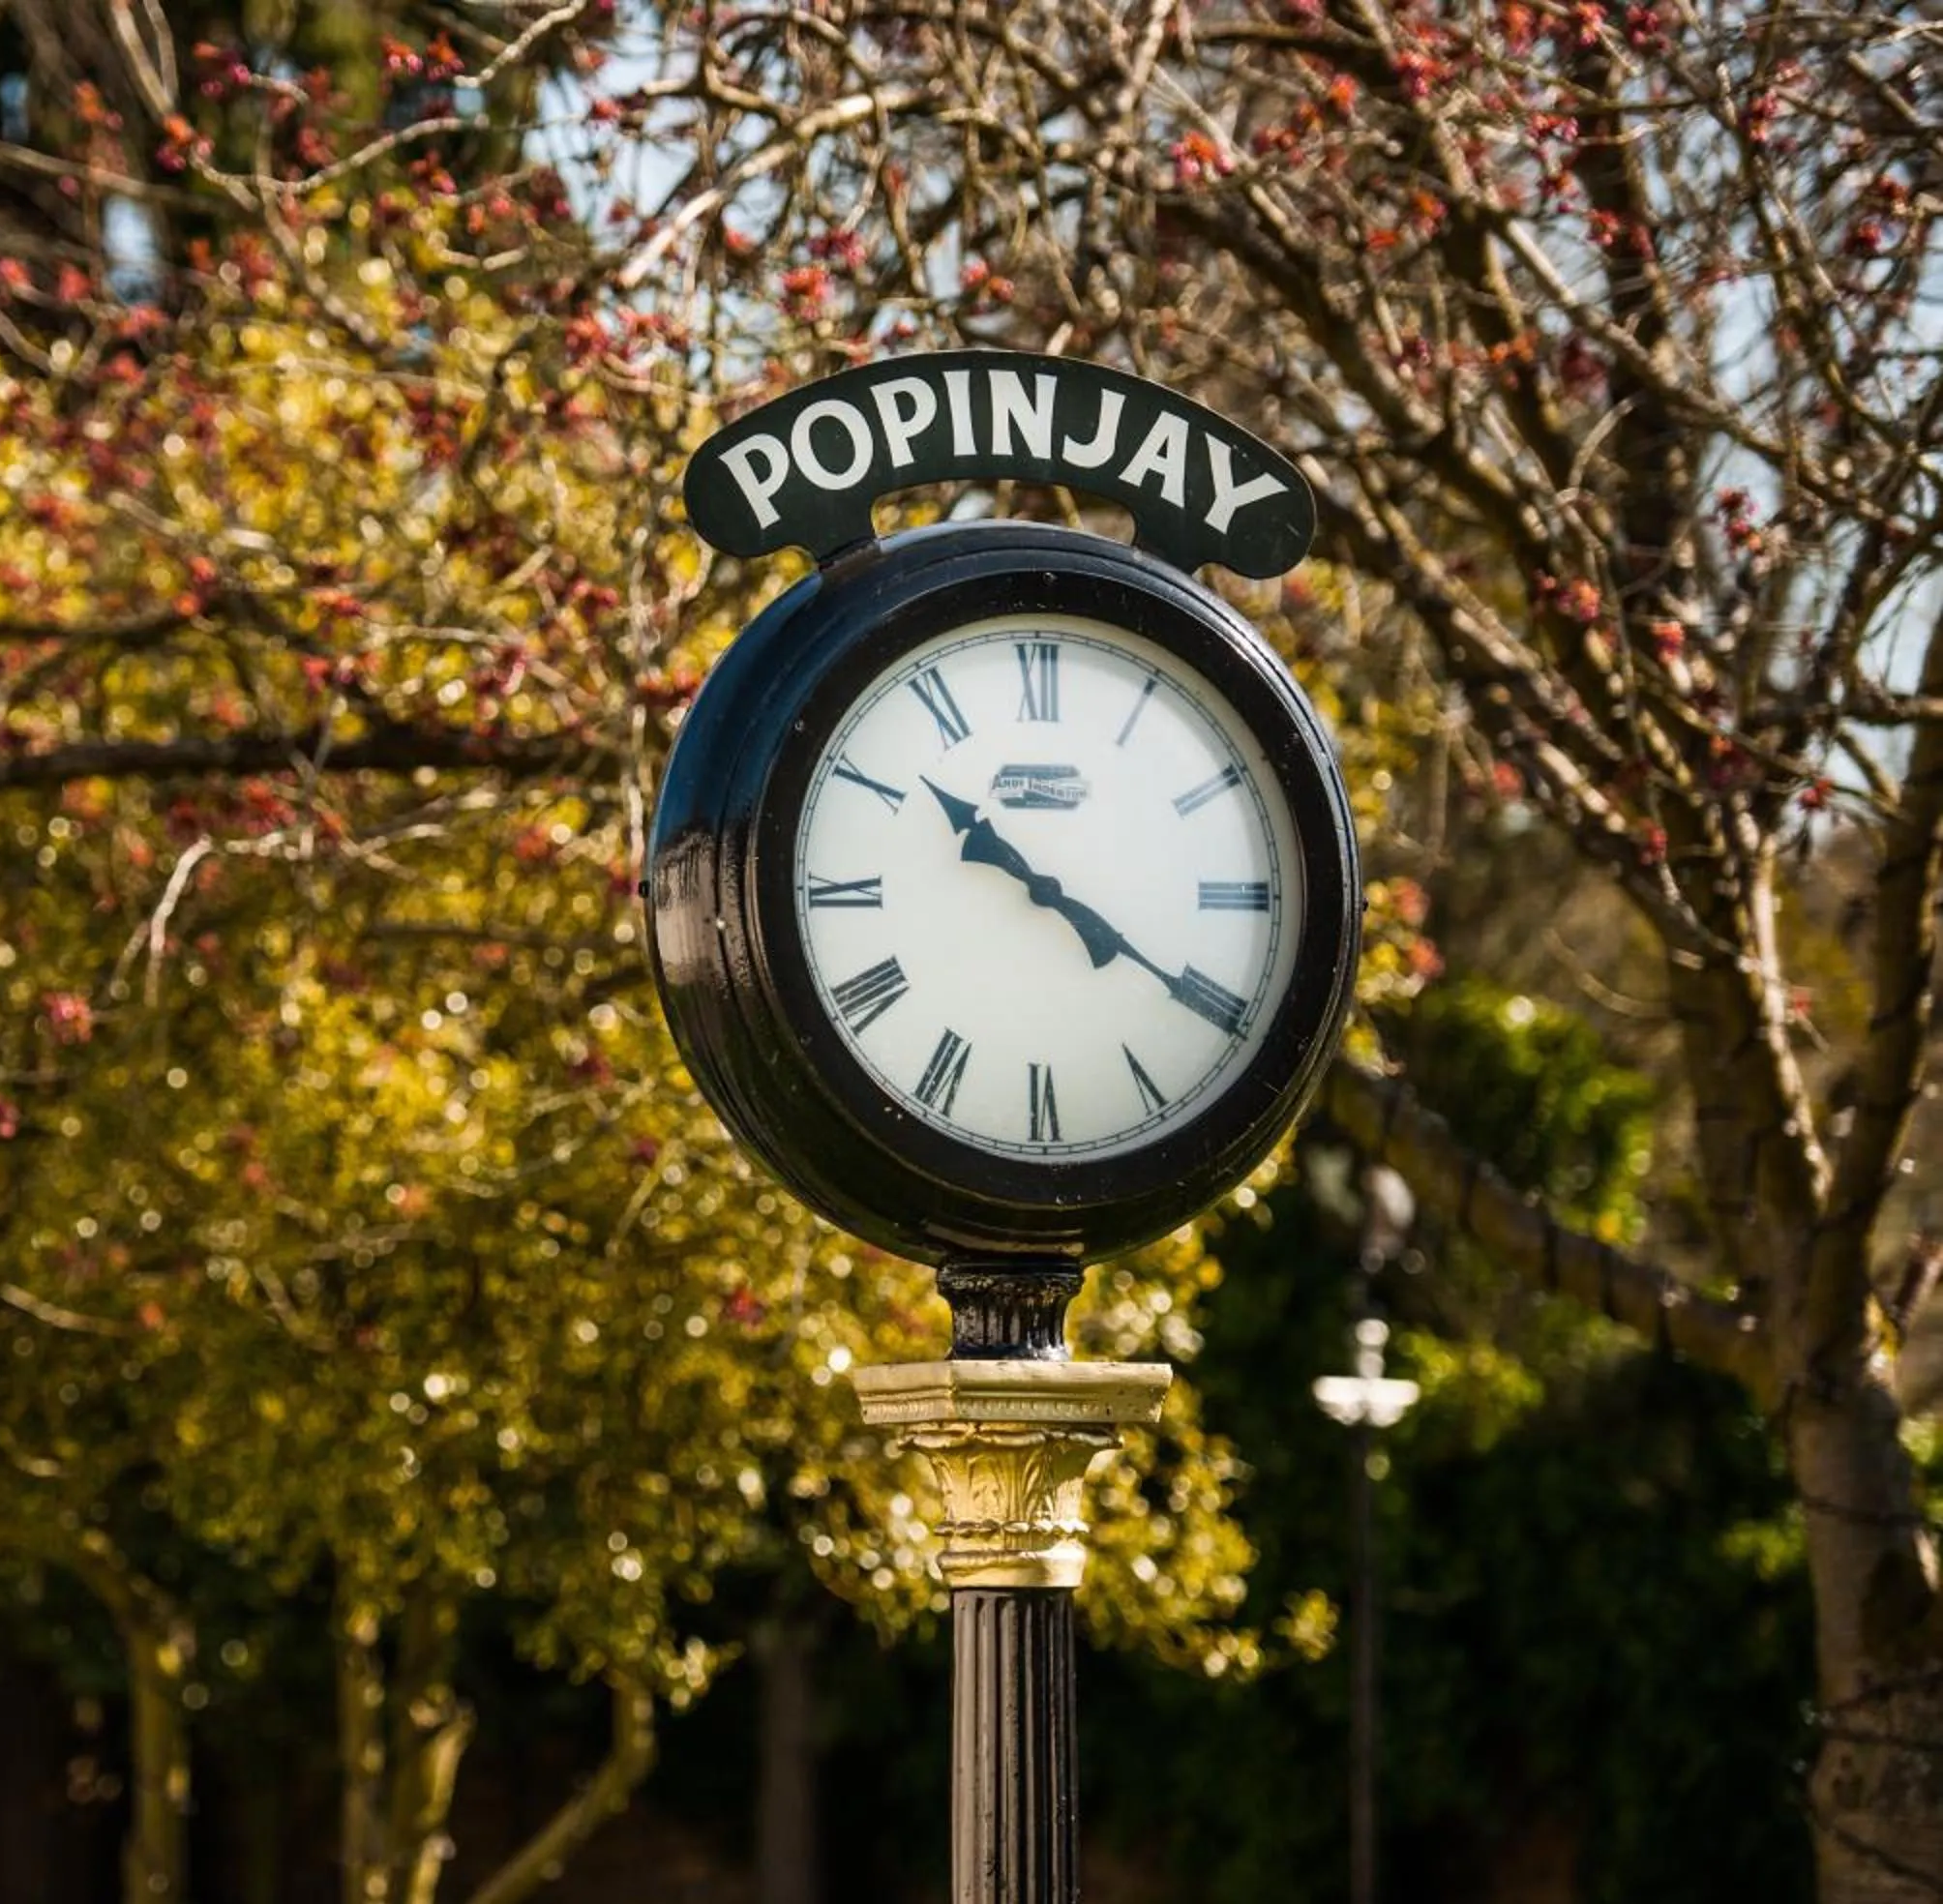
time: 10:20
